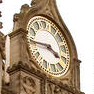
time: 3:44
